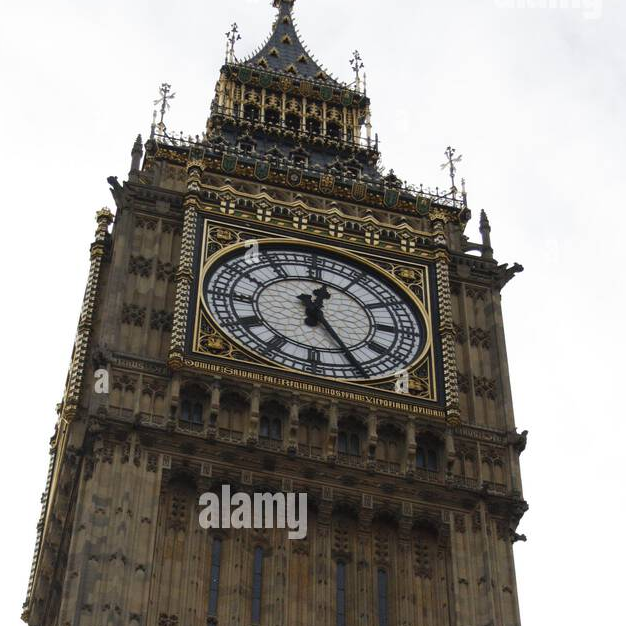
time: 12:24
